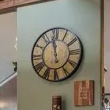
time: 11:58
